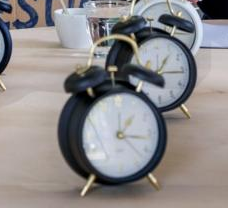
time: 1:16
